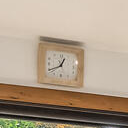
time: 12:40
